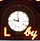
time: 8:58
